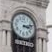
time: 3:12
